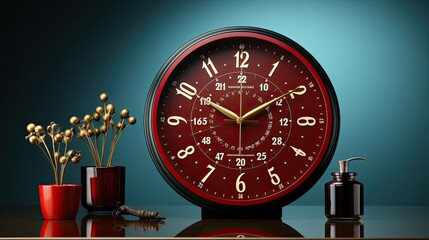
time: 1:50
